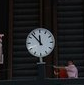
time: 11:53
